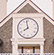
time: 7:58
